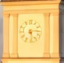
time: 5:14
